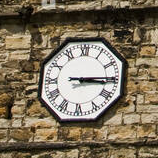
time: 3:14
